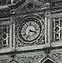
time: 3:33
